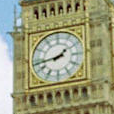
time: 1:43
